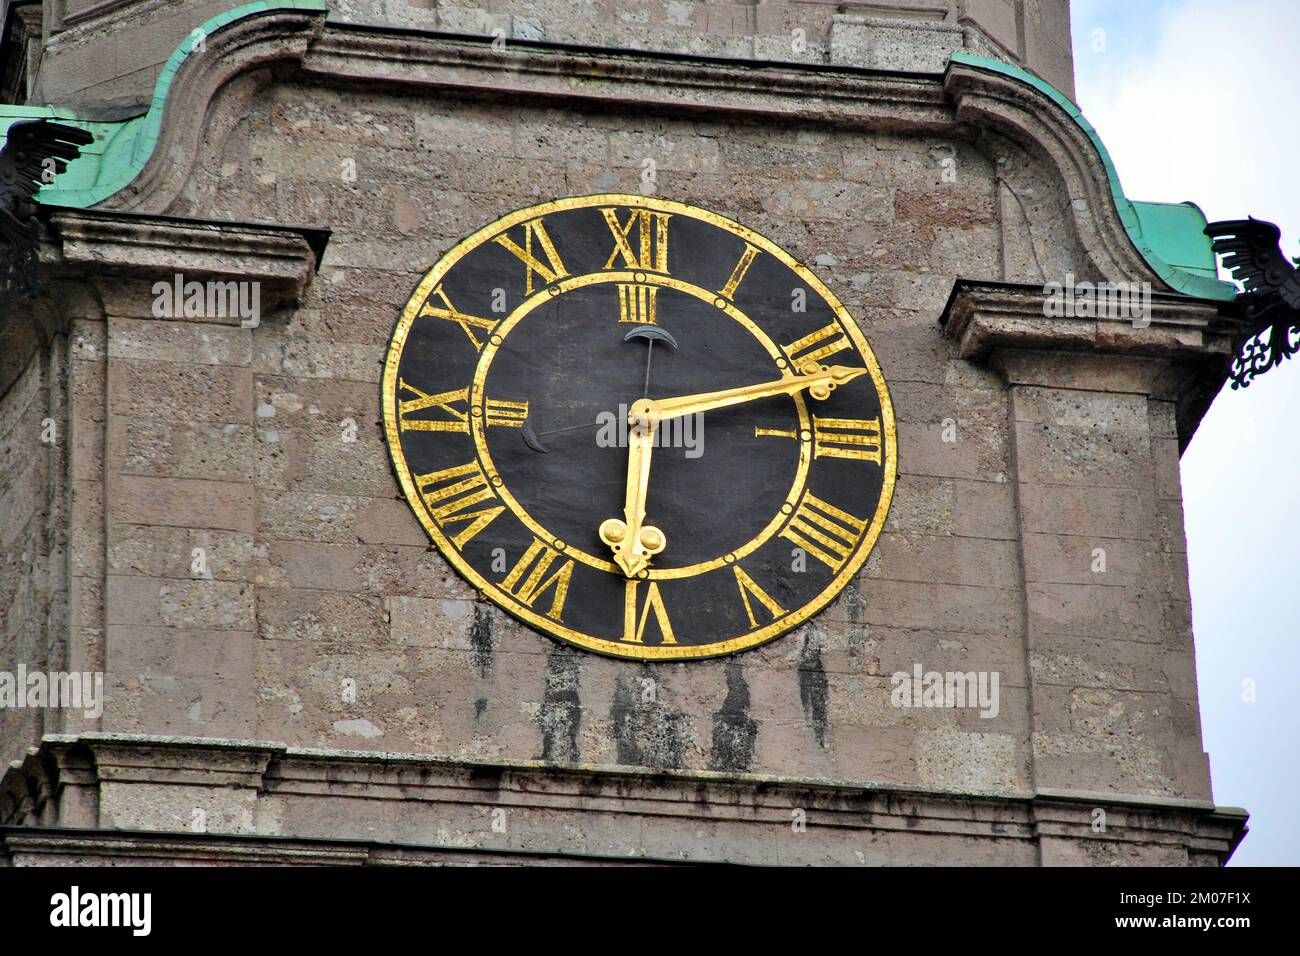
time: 6:12
